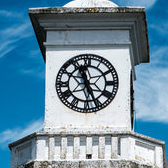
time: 11:25
